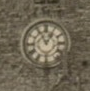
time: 12:55
